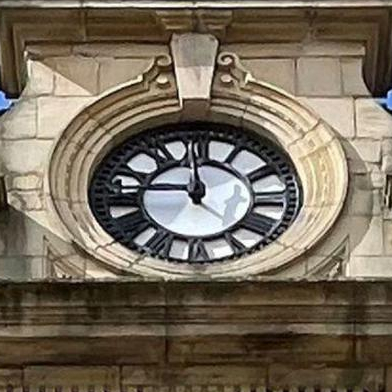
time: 11:44
